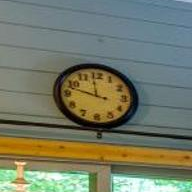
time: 11:47
